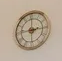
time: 2:45
